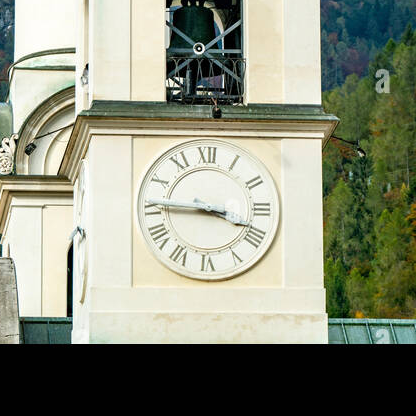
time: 3:45
